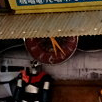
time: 5:23
